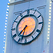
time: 7:32
